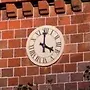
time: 4:00
